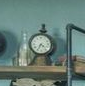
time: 4:34
